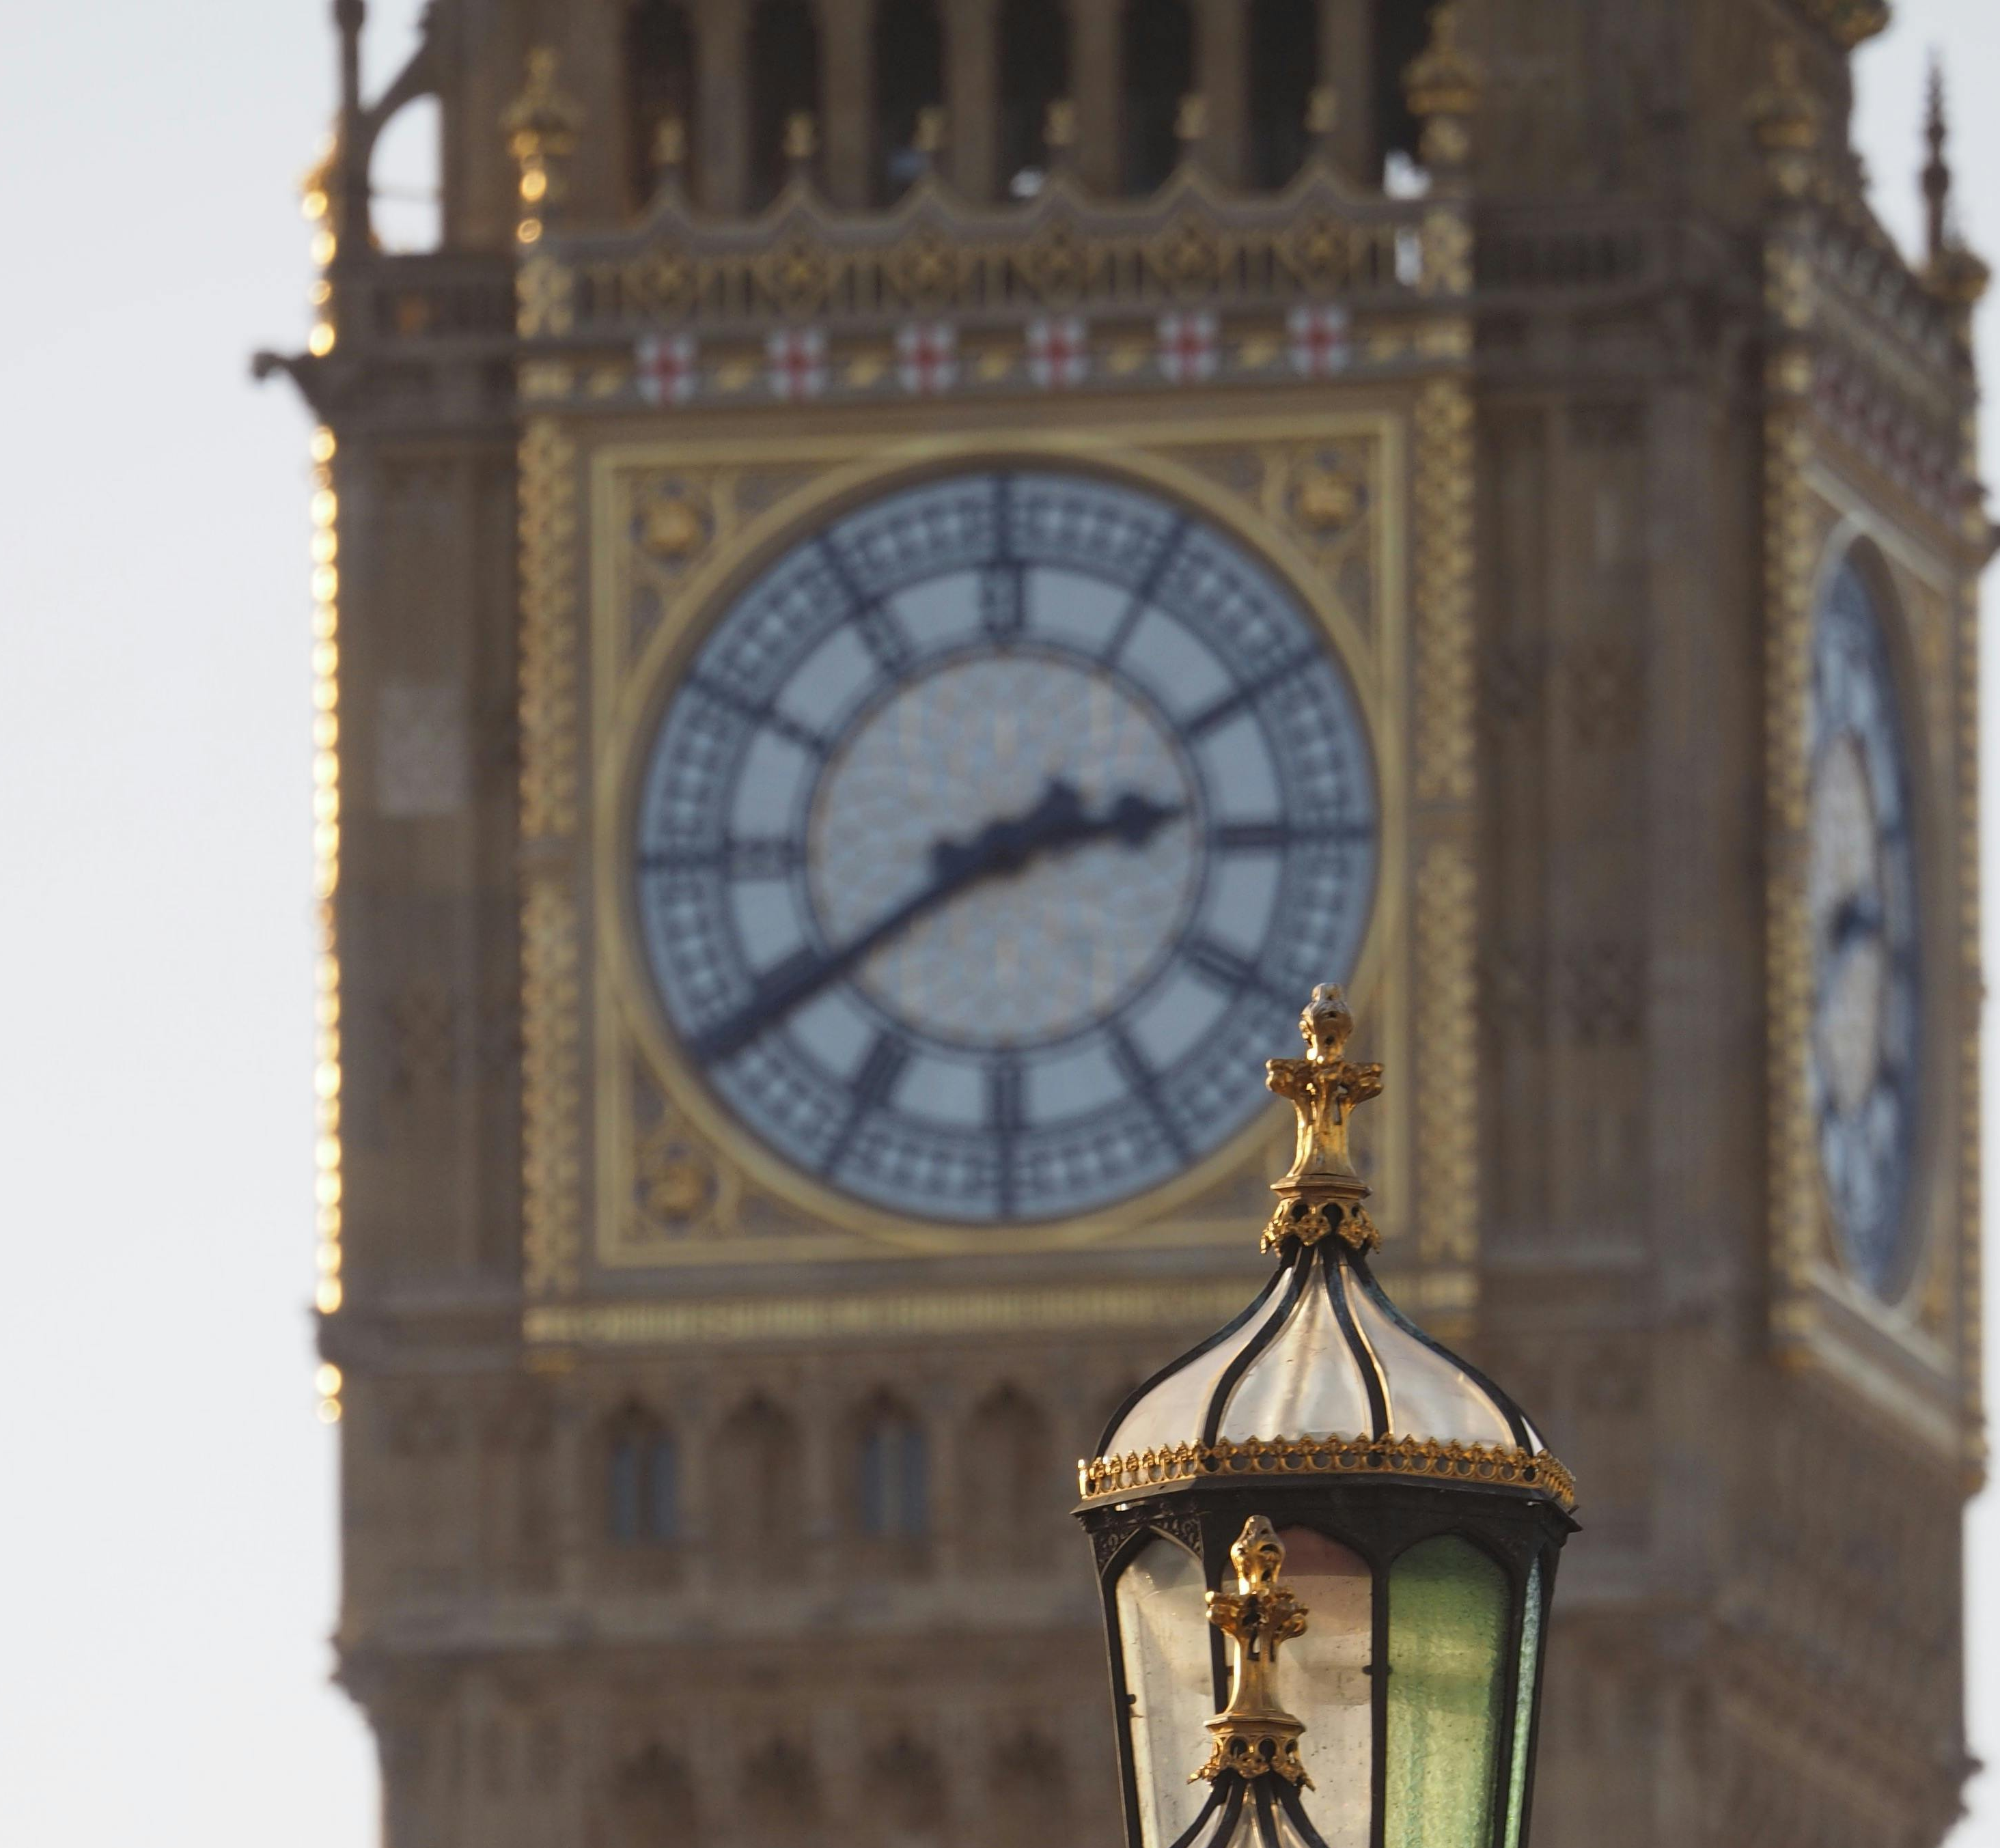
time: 2:39
